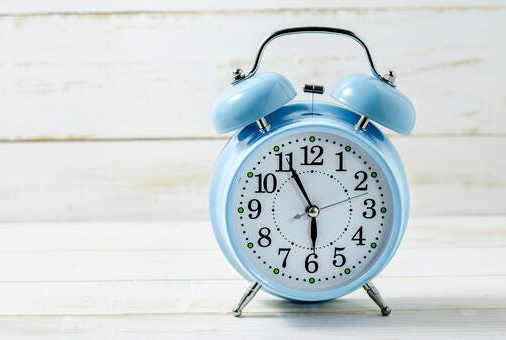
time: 5:55
